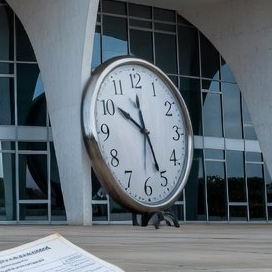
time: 10:26
